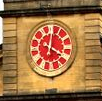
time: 4:01
